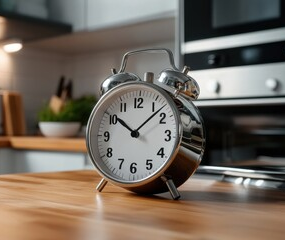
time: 10:07
